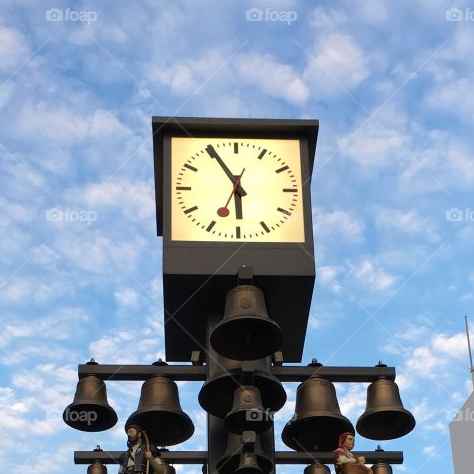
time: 5:54
